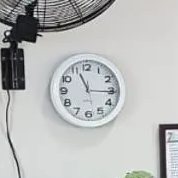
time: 11:15
